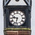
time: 9:32
